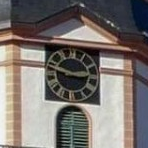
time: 2:48
